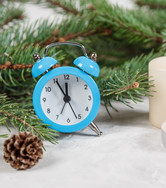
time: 11:55
